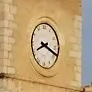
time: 8:18
